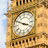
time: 3:50
